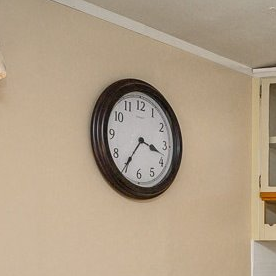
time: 3:35
